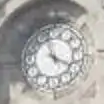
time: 3:58
